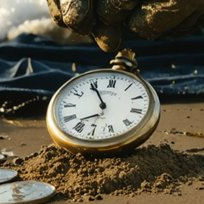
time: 7:55
